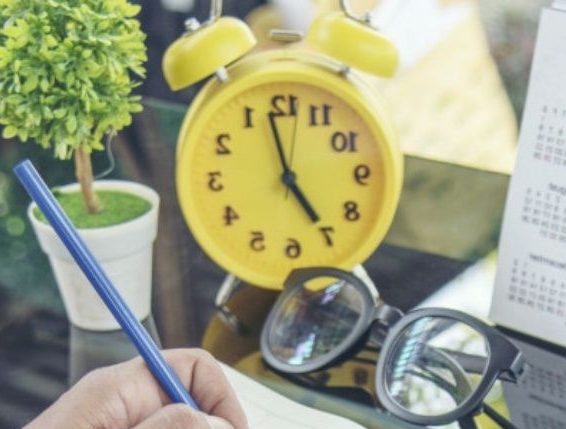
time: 4:57
